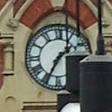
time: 1:34
